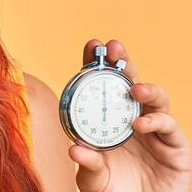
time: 6:00
